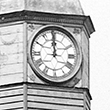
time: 11:59
